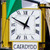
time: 12:49
